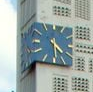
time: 4:29
